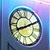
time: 8:10
